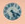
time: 5:18
